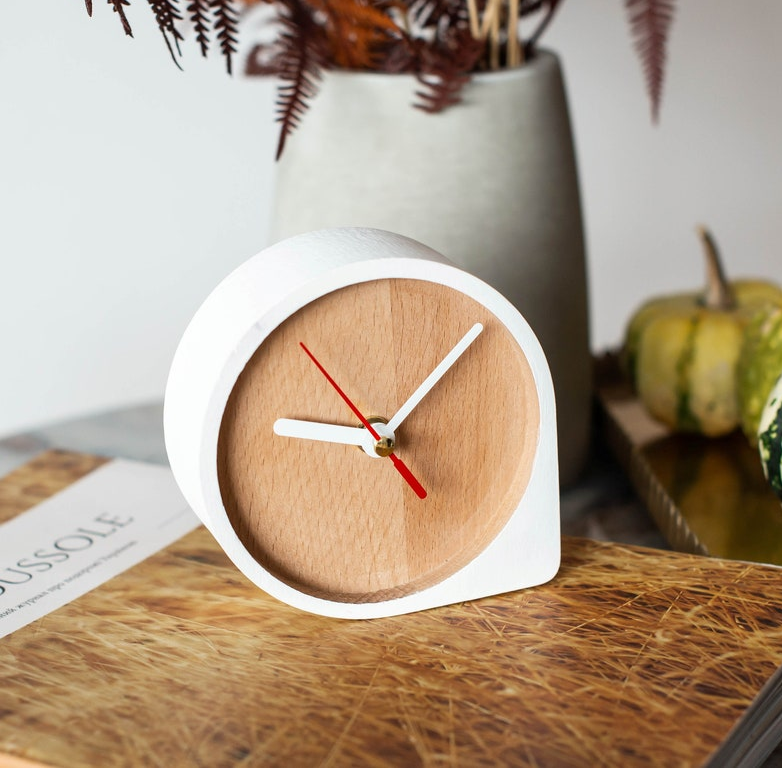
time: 9:07
